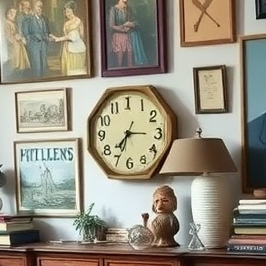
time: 7:34
